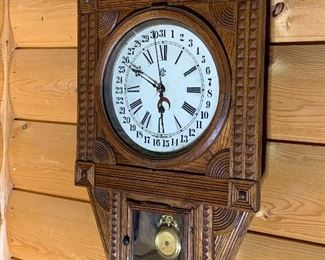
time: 5:49
